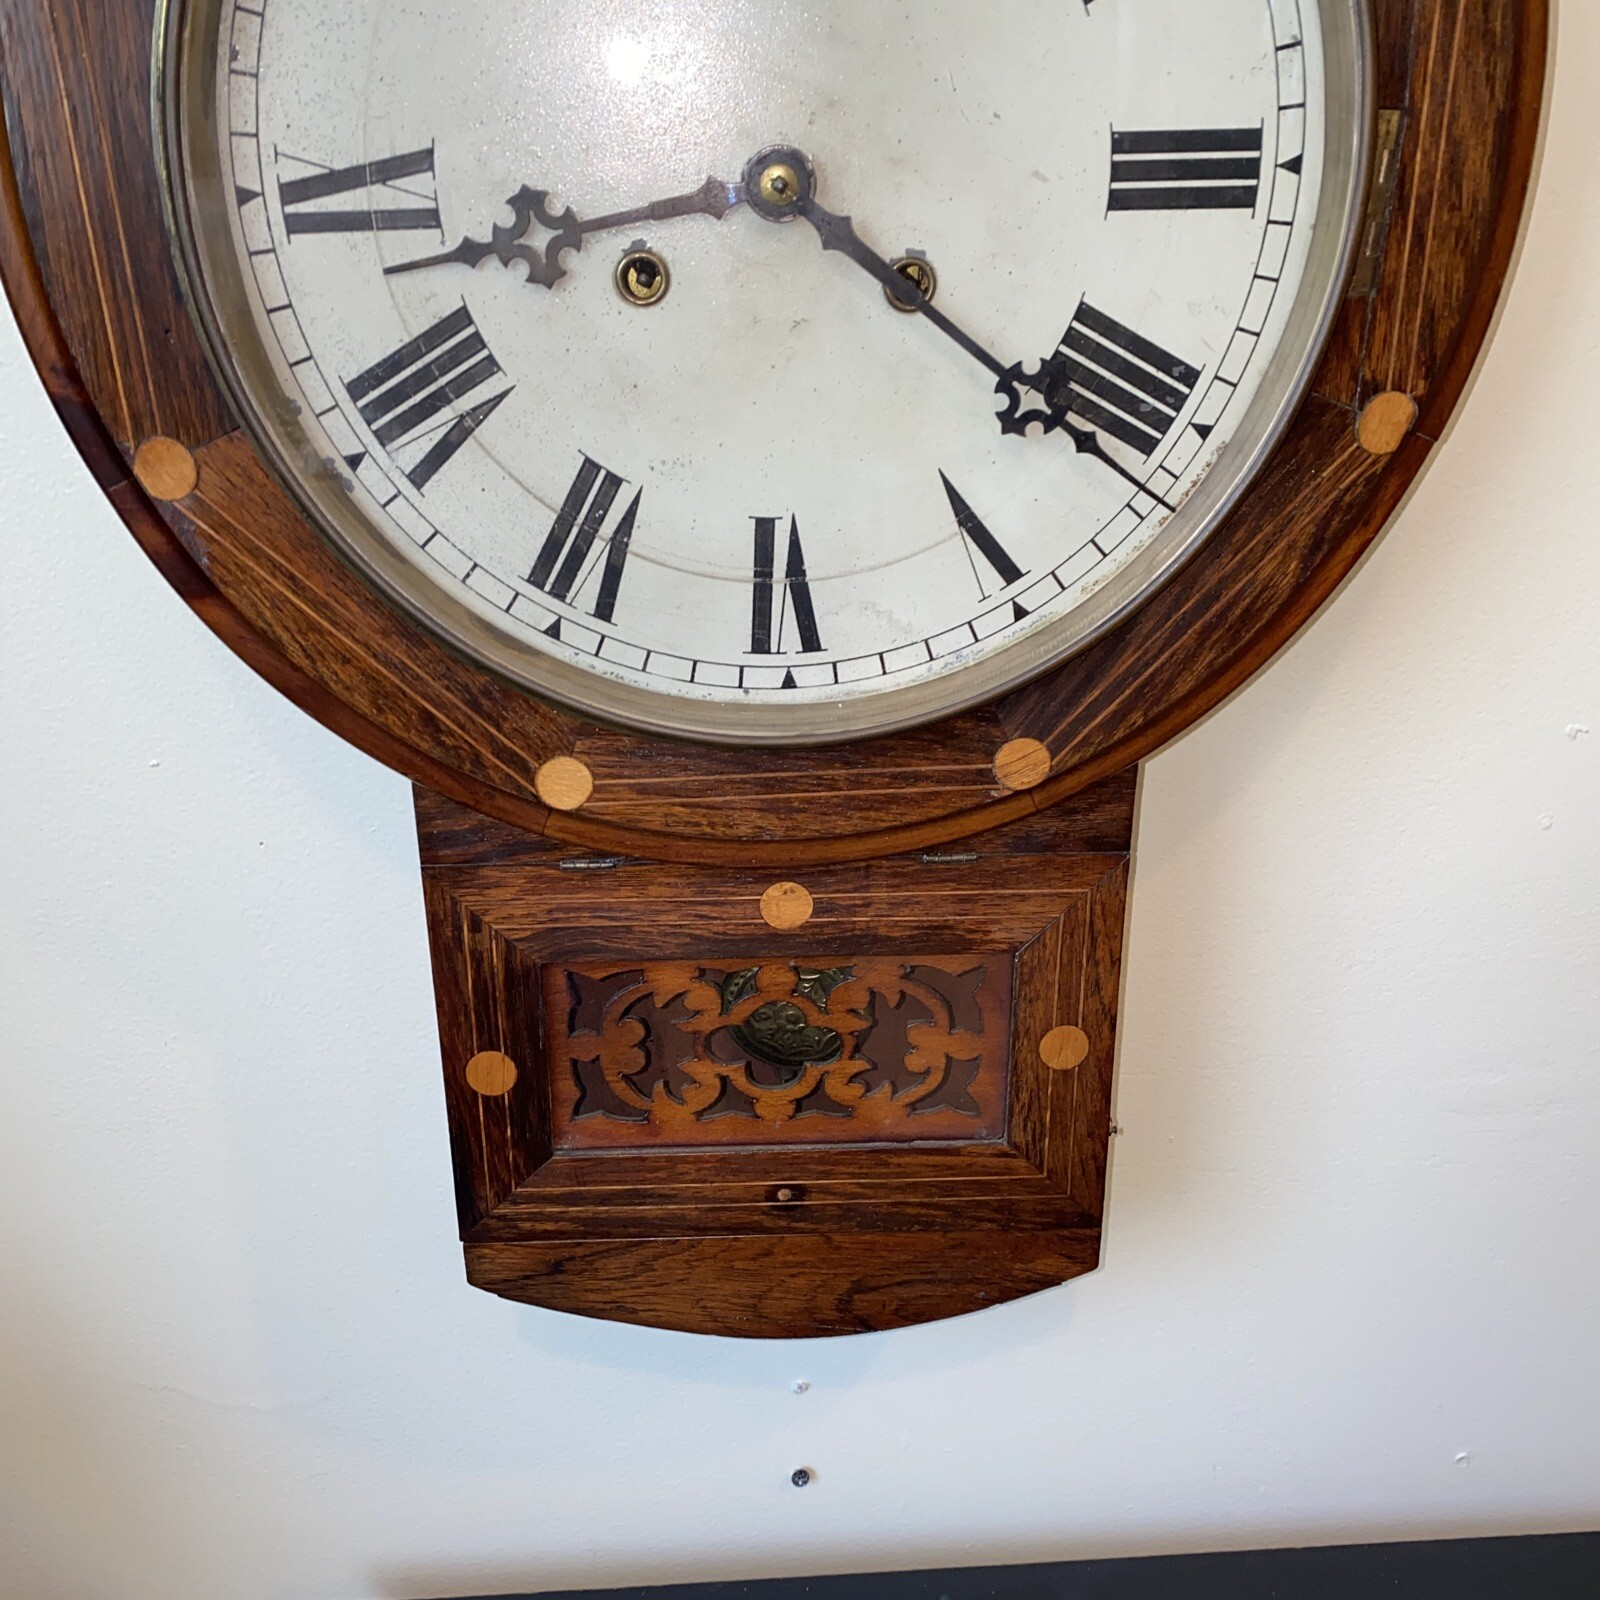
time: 8:21
